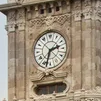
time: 2:33
